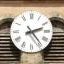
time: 2:23
